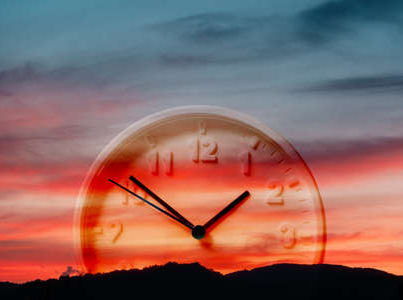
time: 1:51
